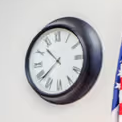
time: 10:38
